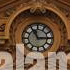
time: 11:14
